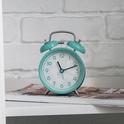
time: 11:11
